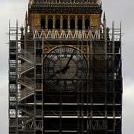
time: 8:04
